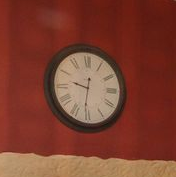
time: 9:31
